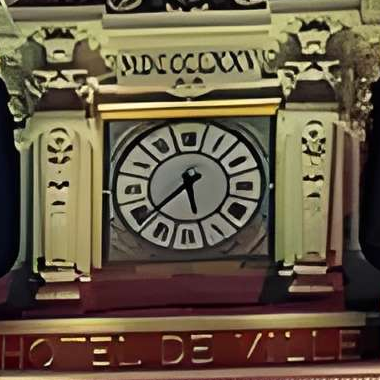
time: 5:38
